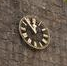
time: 12:52
